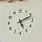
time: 5:11
